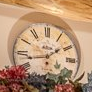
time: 1:43
